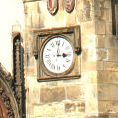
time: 3:01
